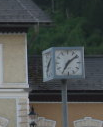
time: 7:08
